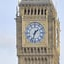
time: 1:33
